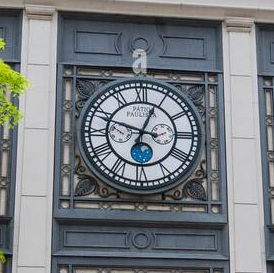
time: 12:48
